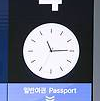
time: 11:14
